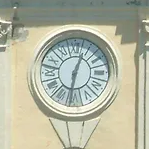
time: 12:31
